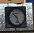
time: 10:26
